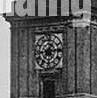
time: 1:13
